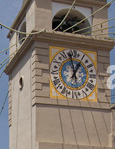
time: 12:58
